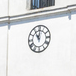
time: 11:01
